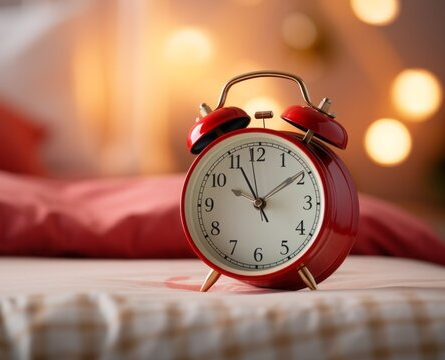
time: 1:55
